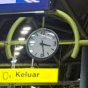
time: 3:28
